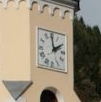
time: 1:59
